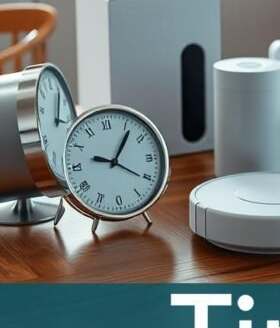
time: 1:20
